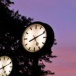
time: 5:11
